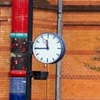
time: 11:44
